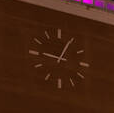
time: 9:04
